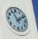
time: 1:56
